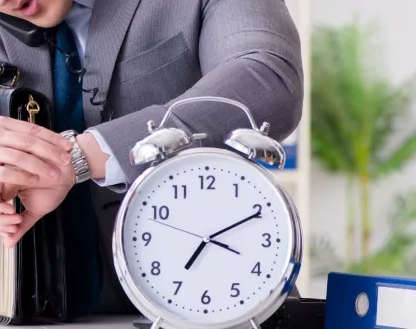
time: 7:10
